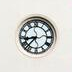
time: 8:37
